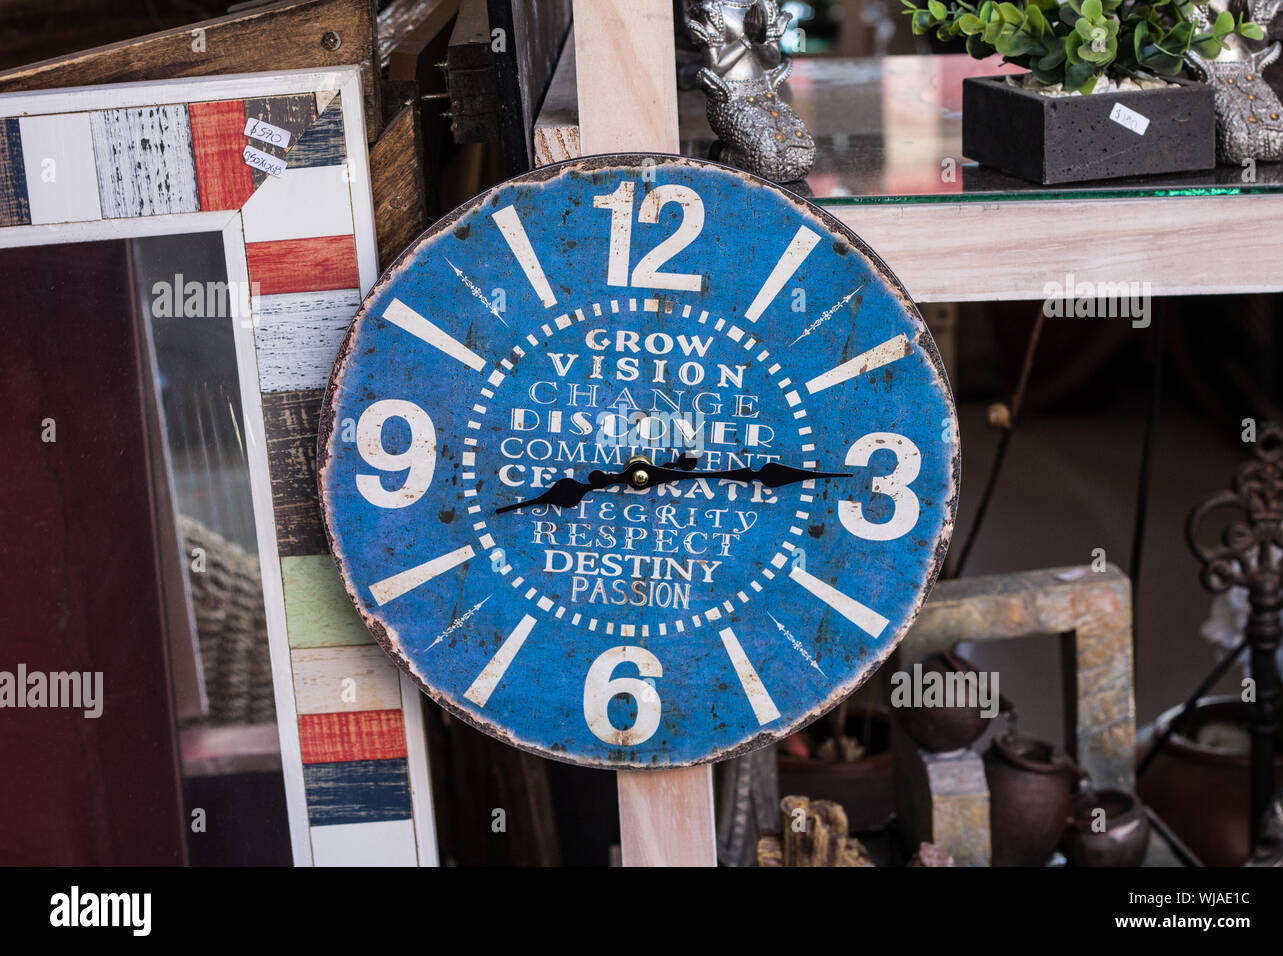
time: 8:14
